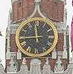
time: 11:44
